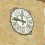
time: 11:46
